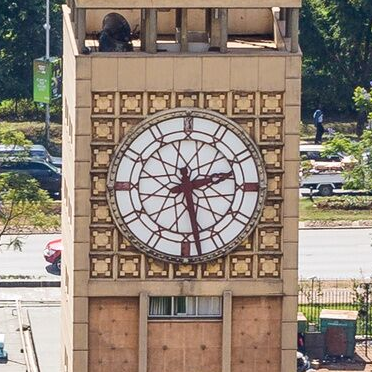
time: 2:27
